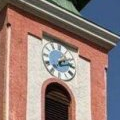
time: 2:36
